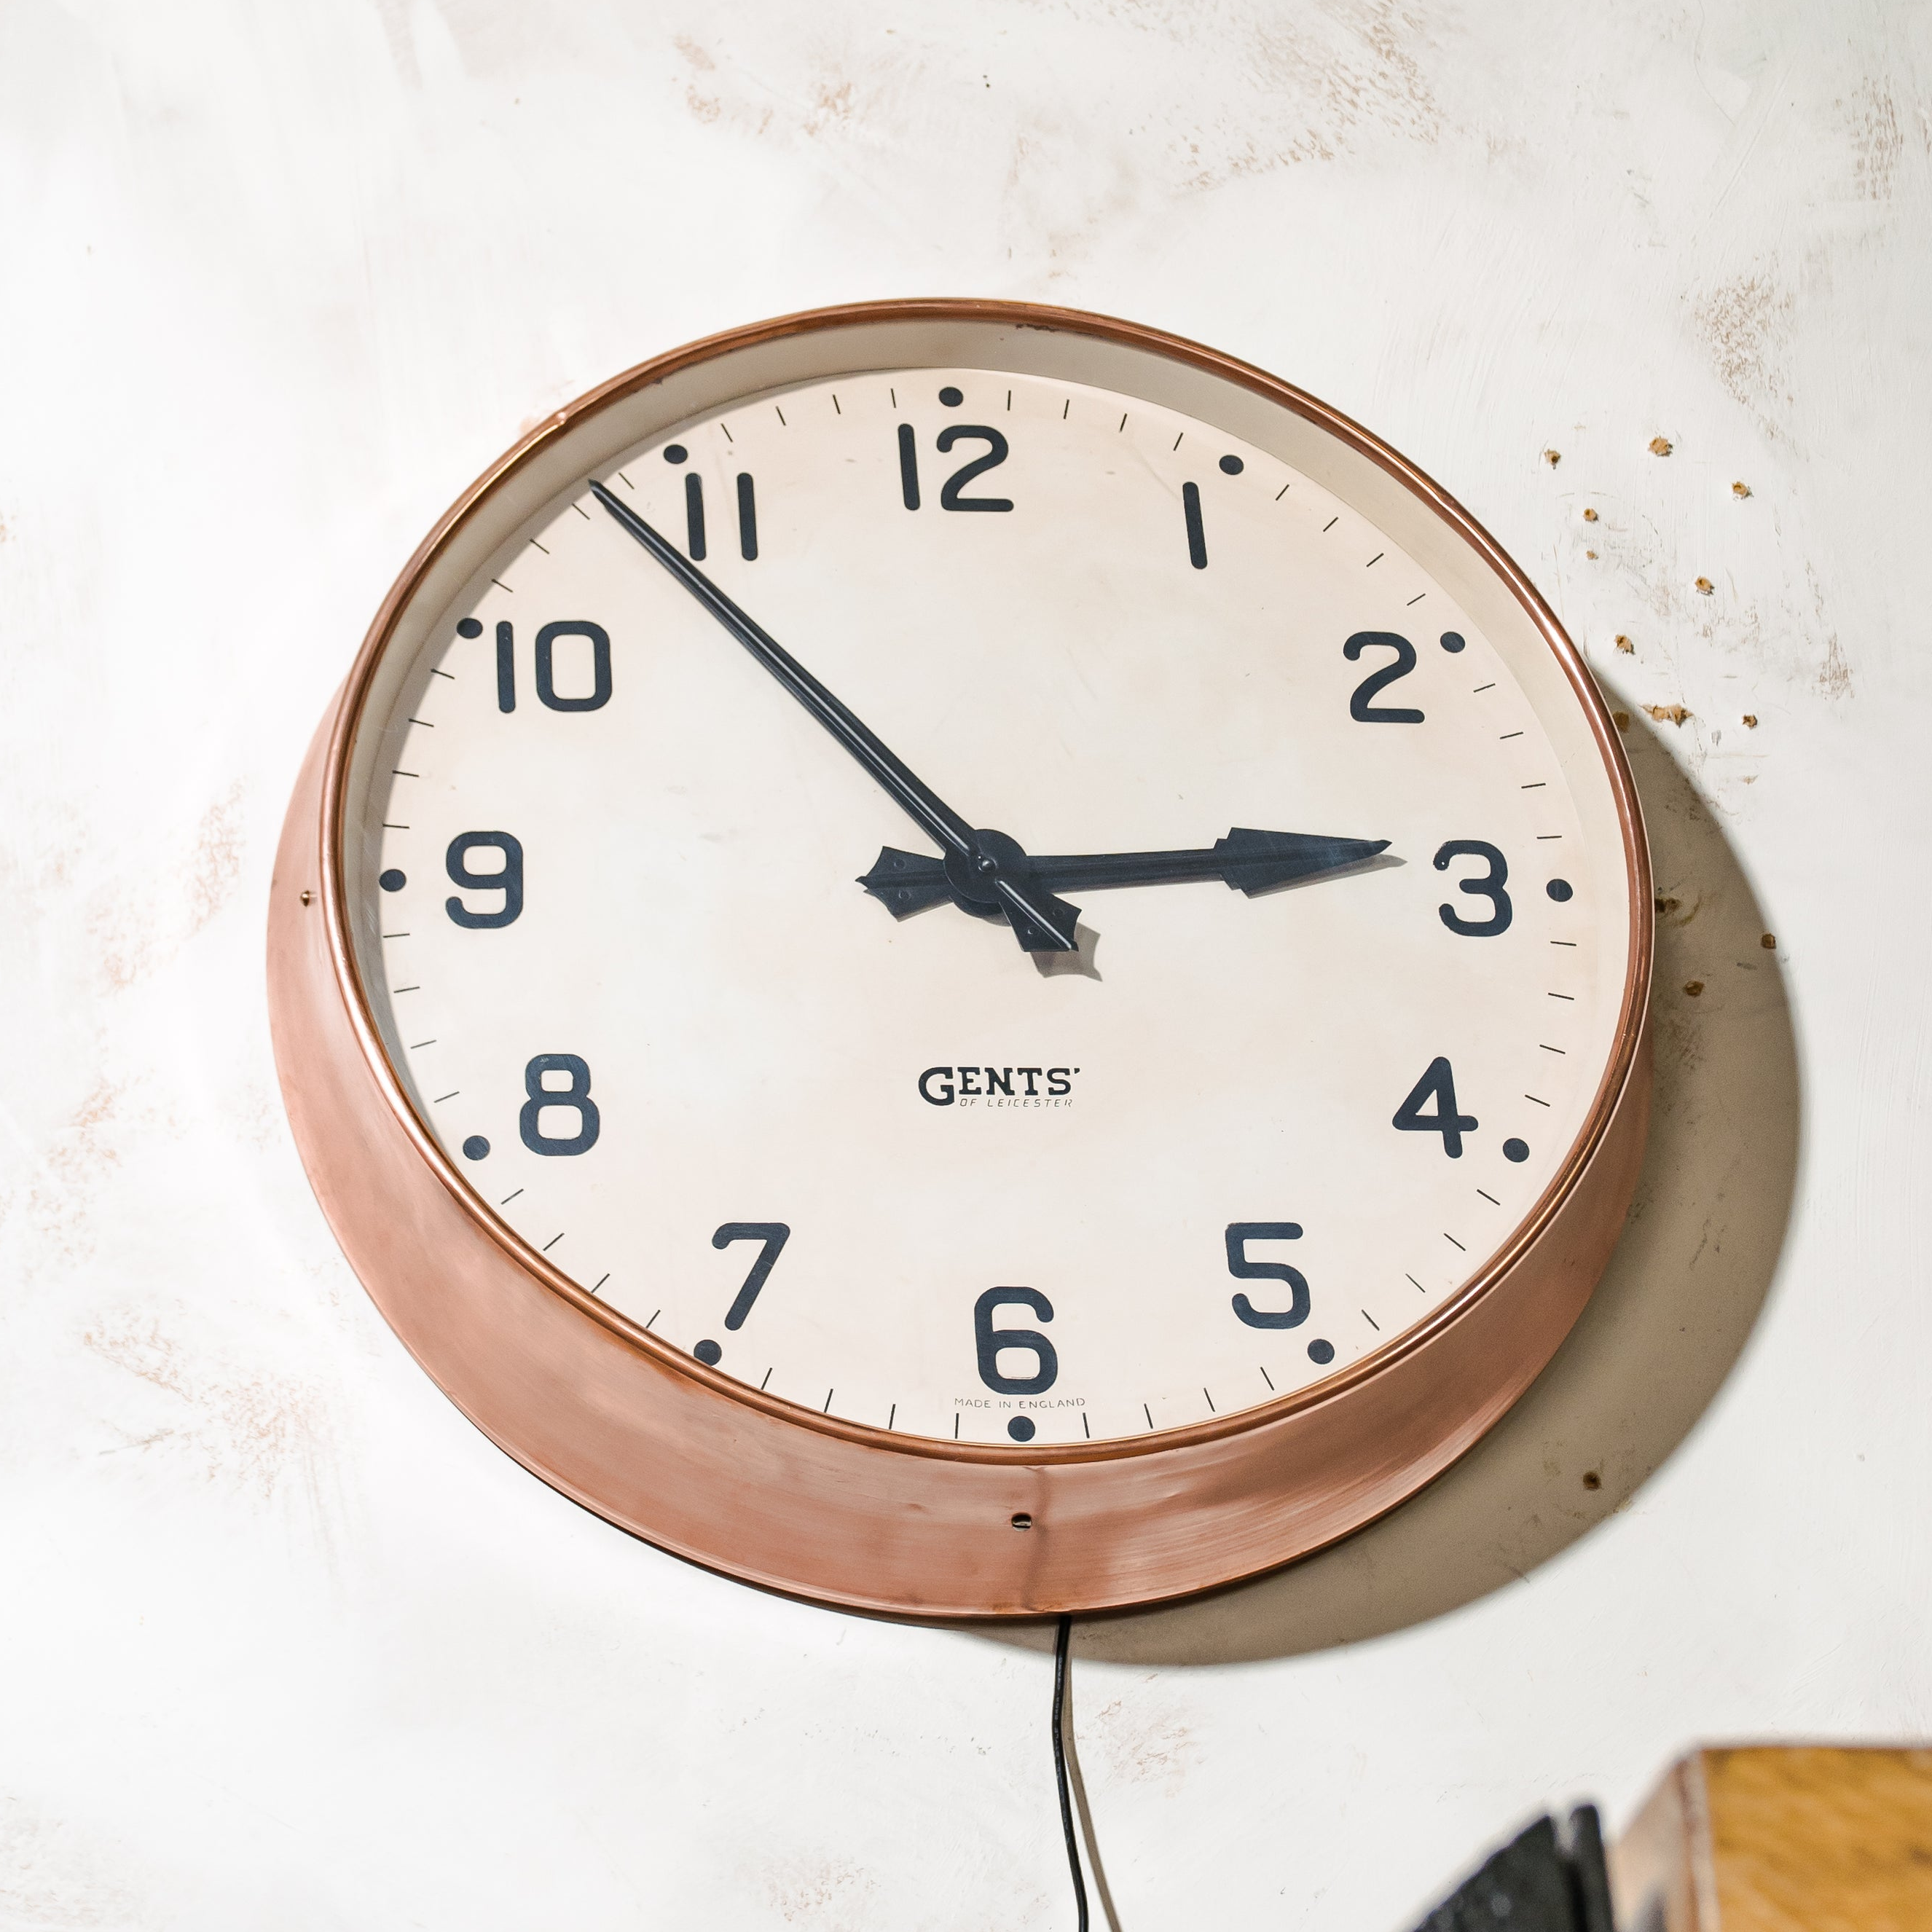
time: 2:53
